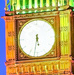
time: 5:31
